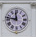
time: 11:46
